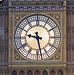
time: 9:28
